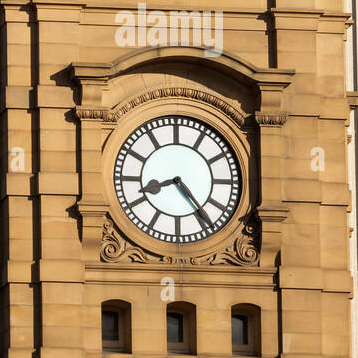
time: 8:23
